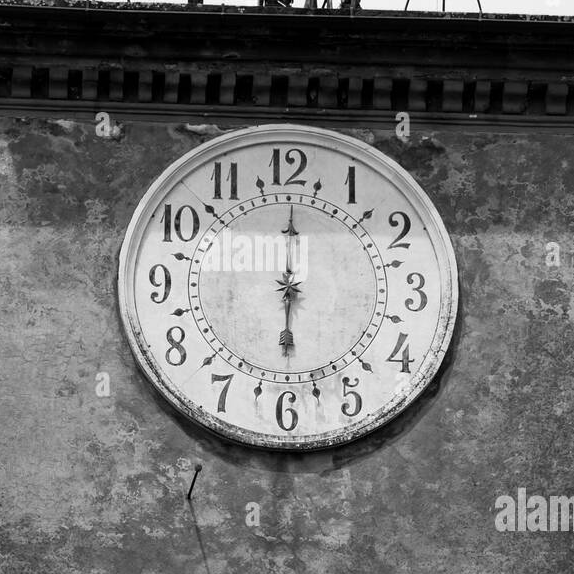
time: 6:00
